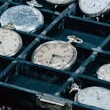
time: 3:32
